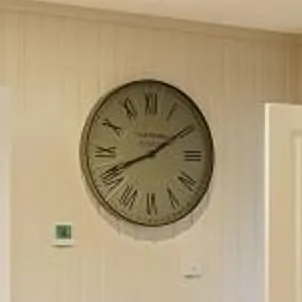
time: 8:09
